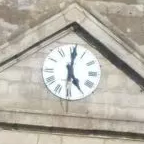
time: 5:00
